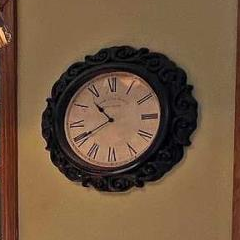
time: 10:40
